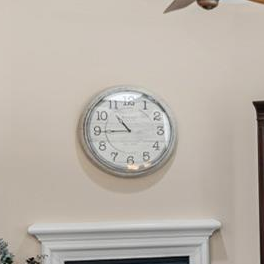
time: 10:44
